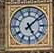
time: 5:08
